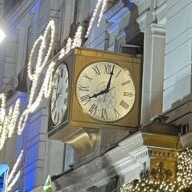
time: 8:02
